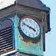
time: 3:48
